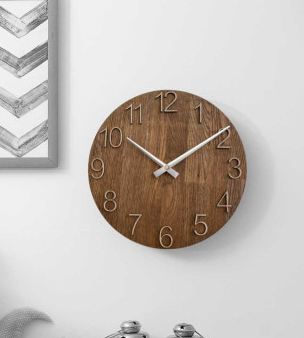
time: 10:09
